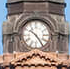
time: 10:24
